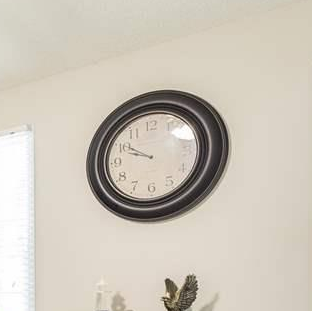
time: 9:50
